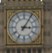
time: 3:05
